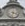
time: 3:32
